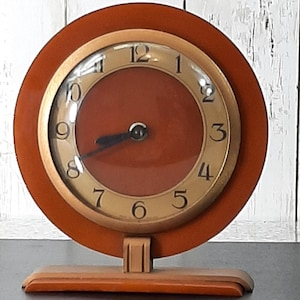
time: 8:41
